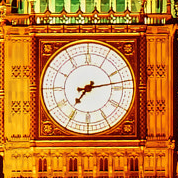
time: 7:13
